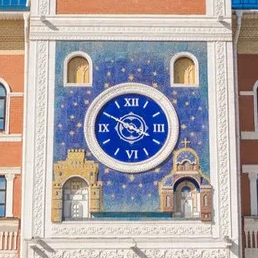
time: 3:50
